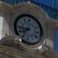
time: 7:44
